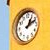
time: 1:11
